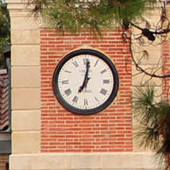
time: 7:01
